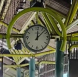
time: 12:07
